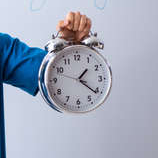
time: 1:21
